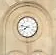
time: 7:47
